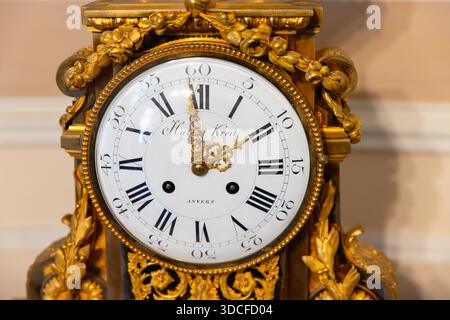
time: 1:58
